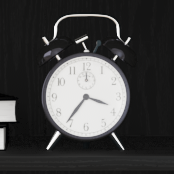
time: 3:36
